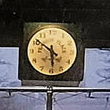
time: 5:51
